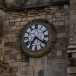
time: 7:21
